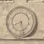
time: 8:27
